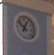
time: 12:52
